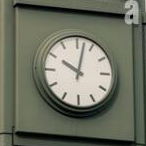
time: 10:02
